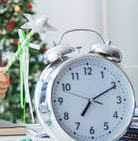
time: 7:10
